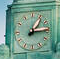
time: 1:13
